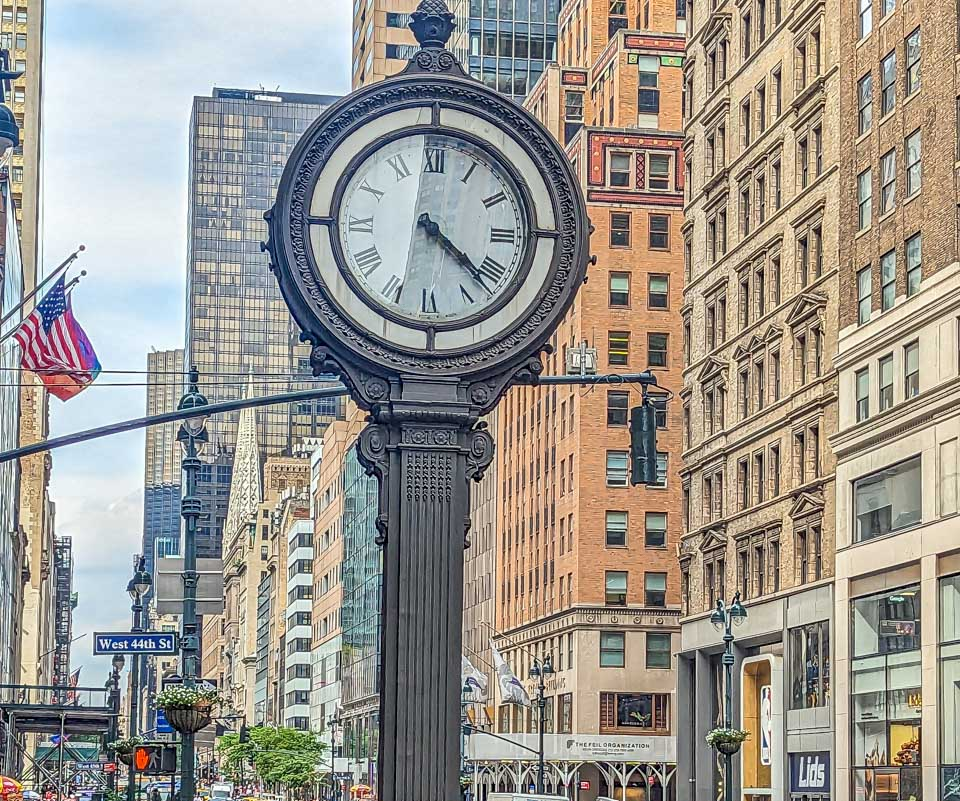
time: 4:21
